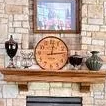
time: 12:13
